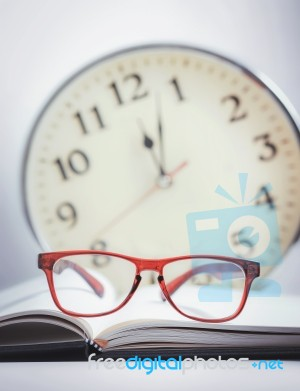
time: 12:02
